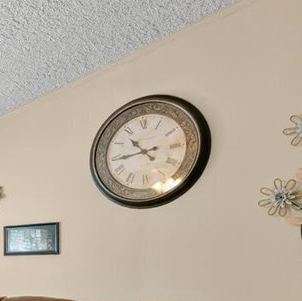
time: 10:43
